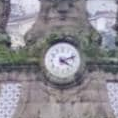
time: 4:11
